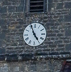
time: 4:56
